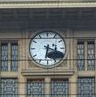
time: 6:18
